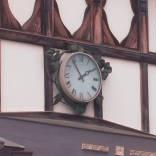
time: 1:54
